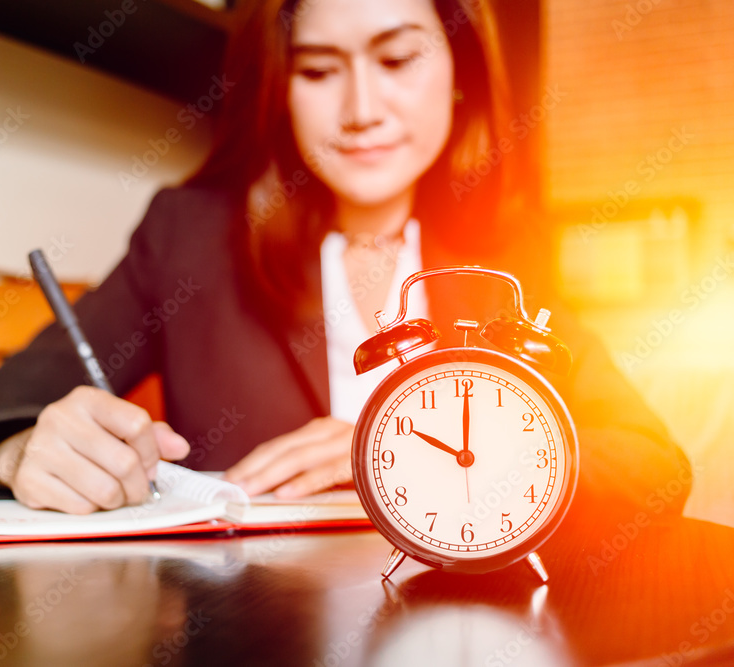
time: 10:00
